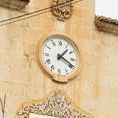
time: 1:19
